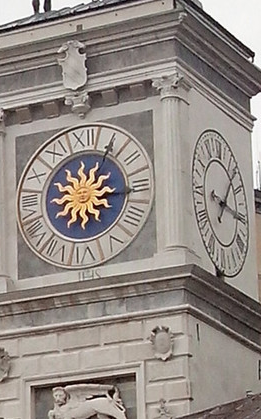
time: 1:16
